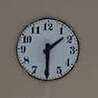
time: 1:29
